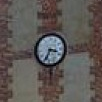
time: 3:34
